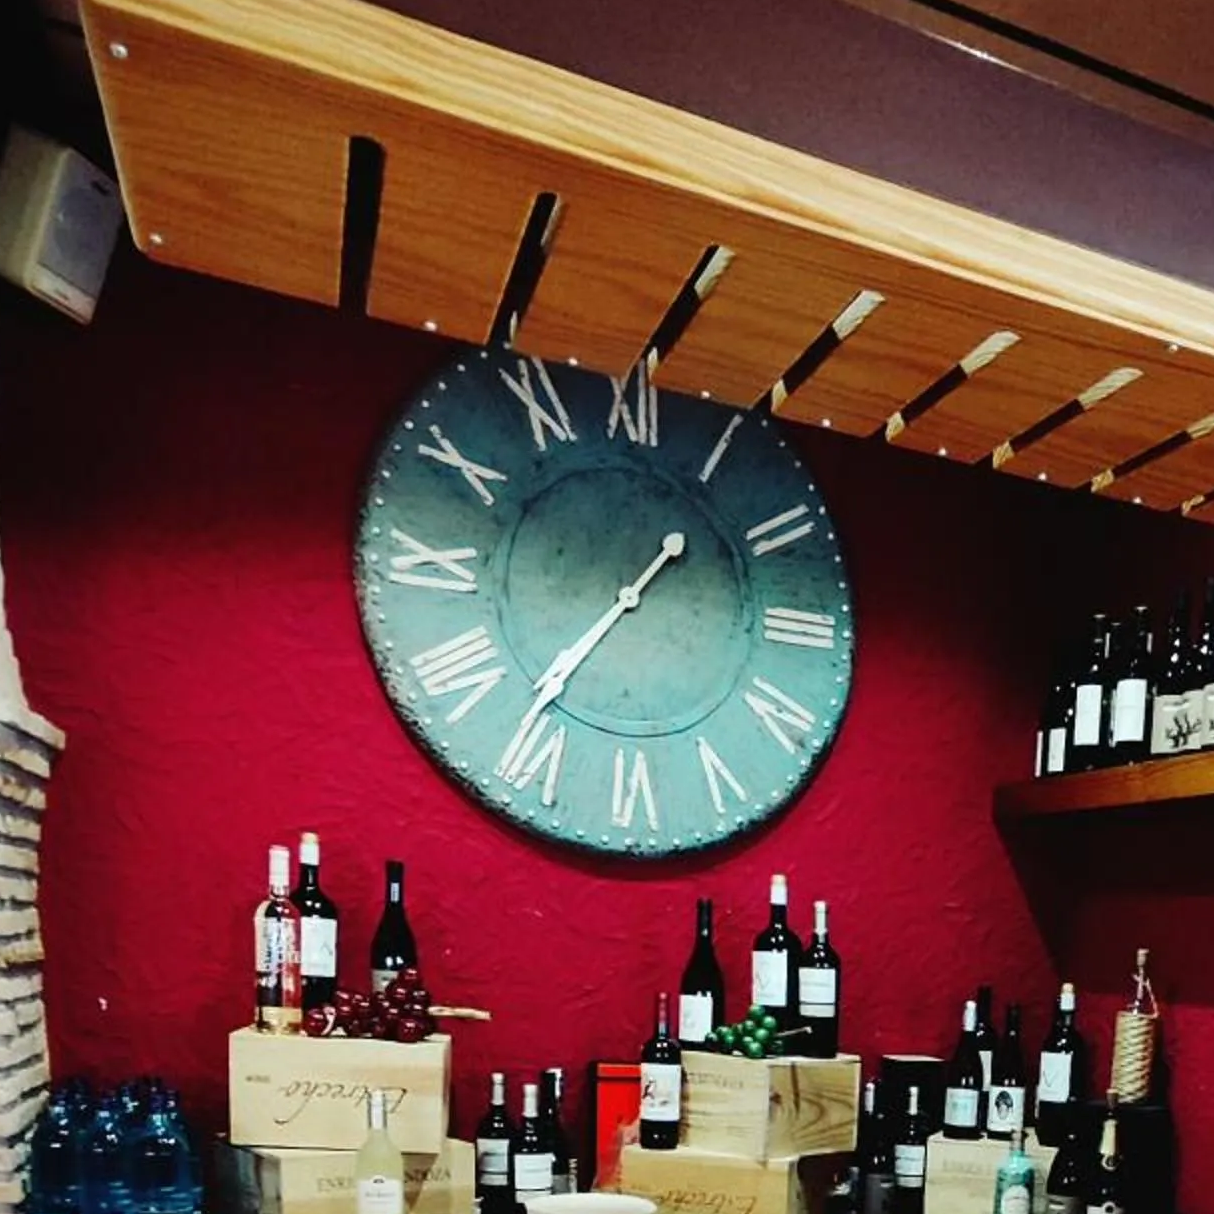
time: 1:36
